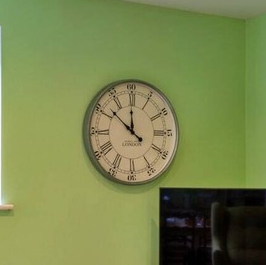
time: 11:51
